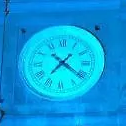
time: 7:21
